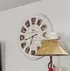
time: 6:42
